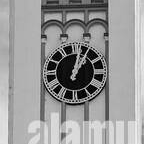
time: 1:02
